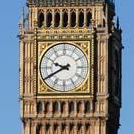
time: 9:40
